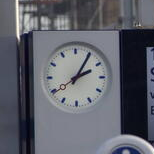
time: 2:05
